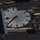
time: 8:38
